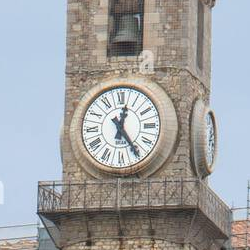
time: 12:24
